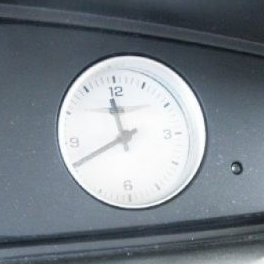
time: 11:41
